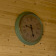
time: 9:27
